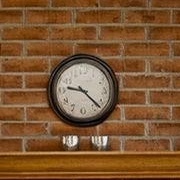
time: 9:22
